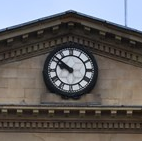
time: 9:51
